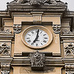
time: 7:01
